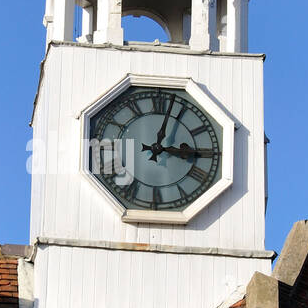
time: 3:02
